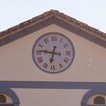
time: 6:46
